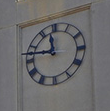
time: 11:46
